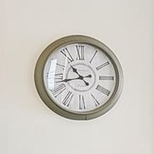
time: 10:42
